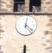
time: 12:22
